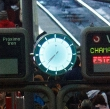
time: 7:37
